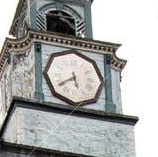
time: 5:39
